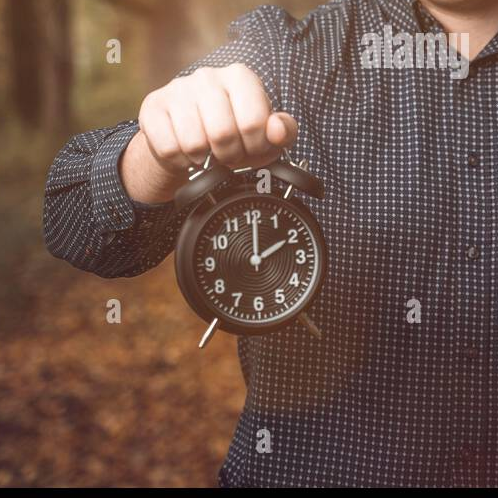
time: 2:00
